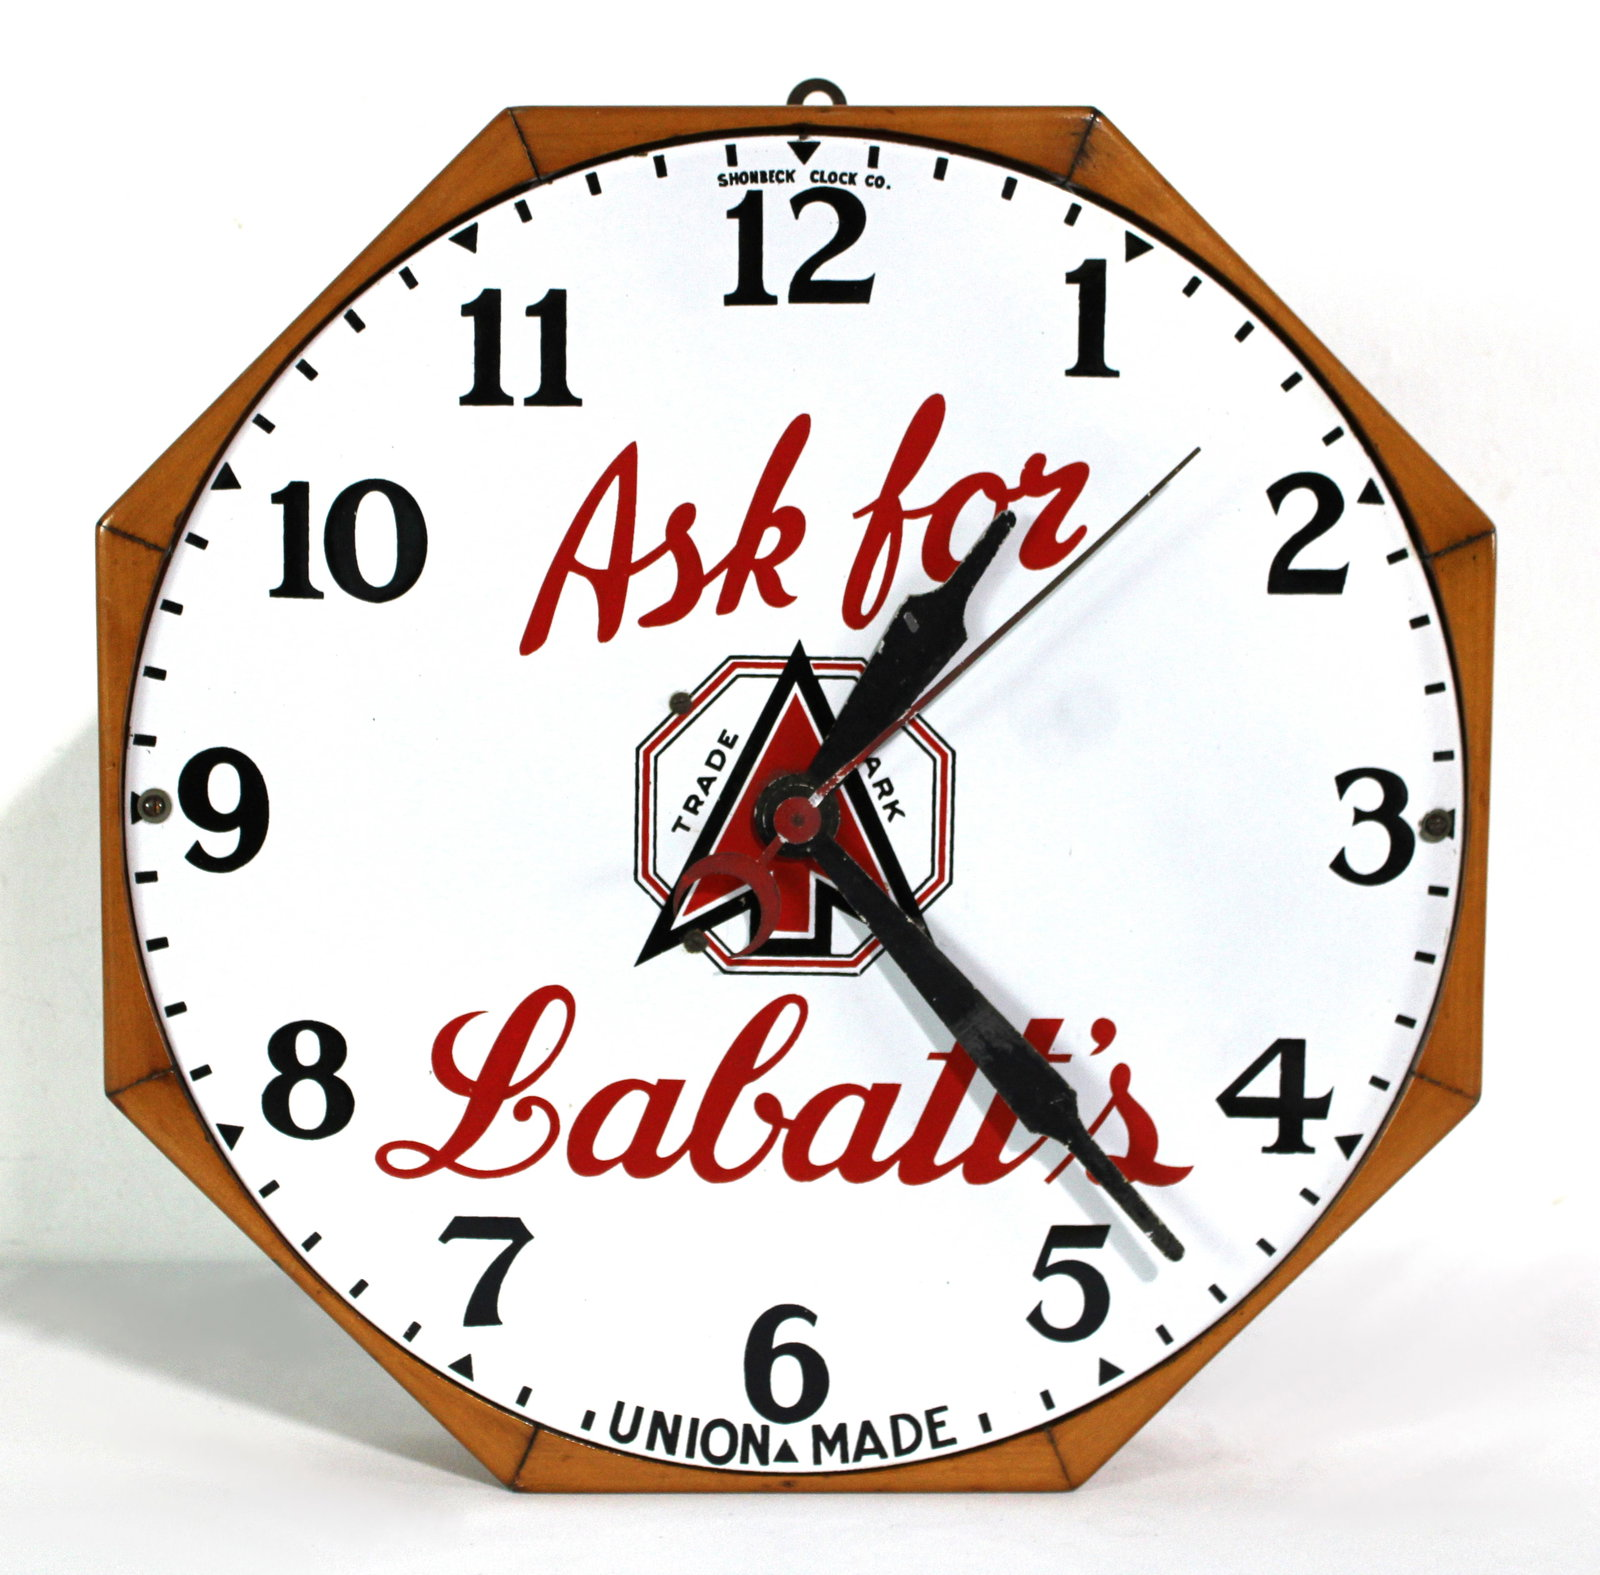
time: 1:23
